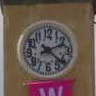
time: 2:21
